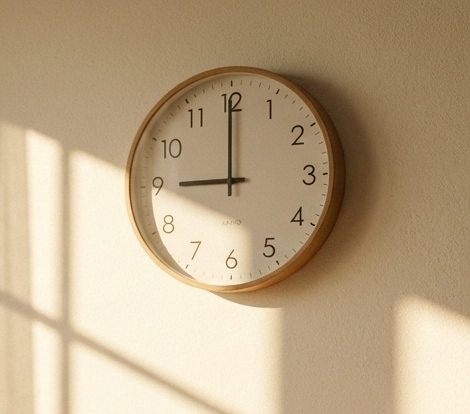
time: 9:00
